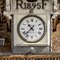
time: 10:37
